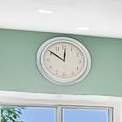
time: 11:50
